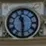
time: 11:30
